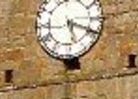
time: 5:18
